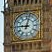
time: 9:01
